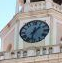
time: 1:32
